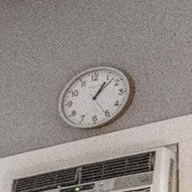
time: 1:07
